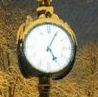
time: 5:04
